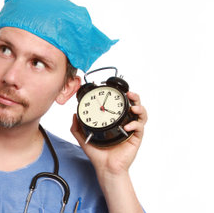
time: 4:04
